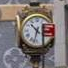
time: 10:32
